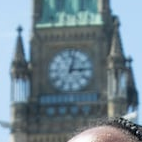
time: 3:02
